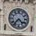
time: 4:36
